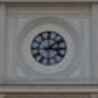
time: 3:08
